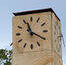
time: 11:20
